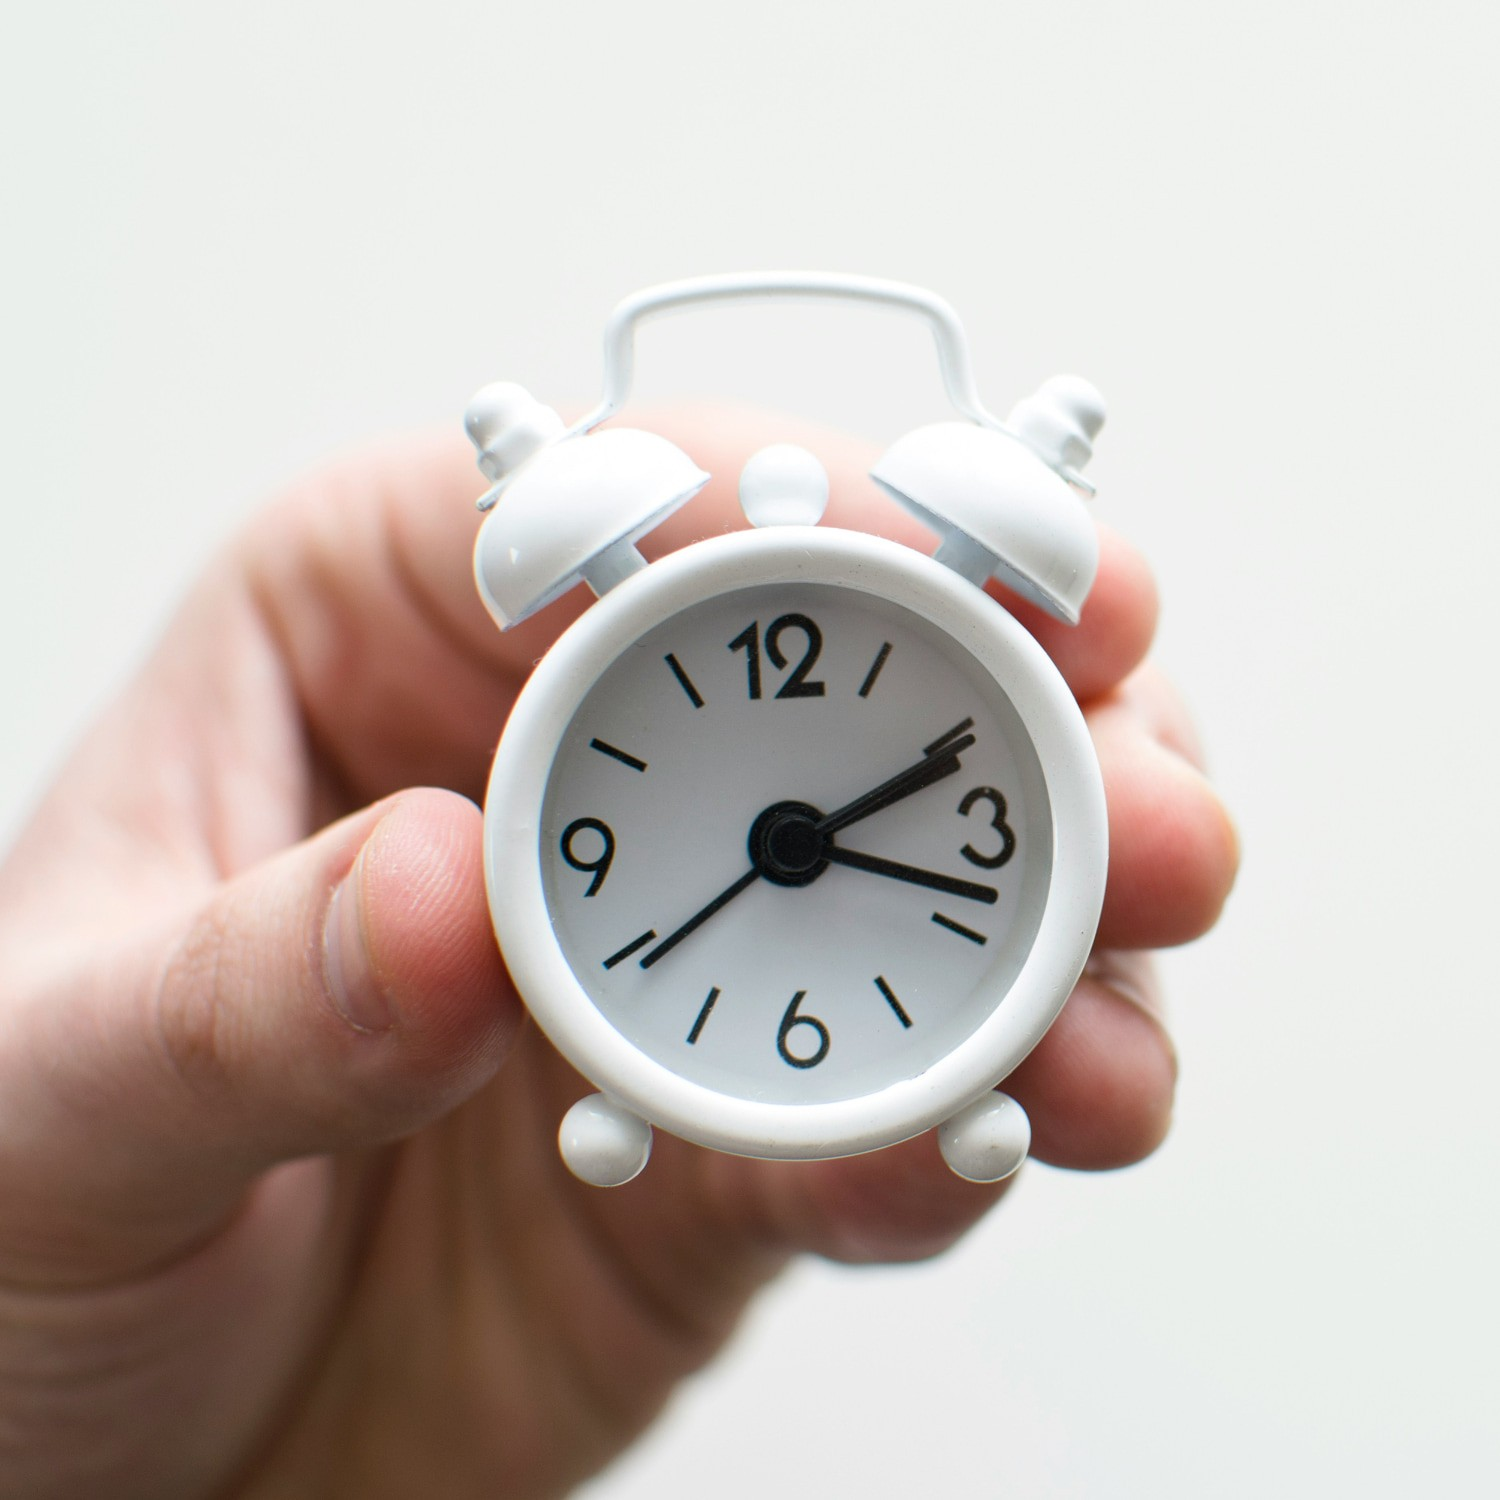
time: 2:18
